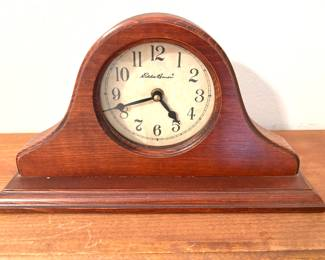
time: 4:41
